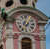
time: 7:02
